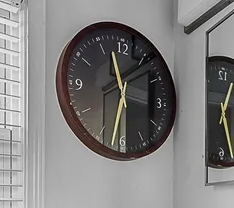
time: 11:32
